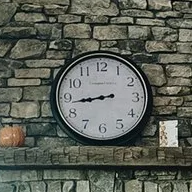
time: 8:43
